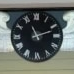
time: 11:12
